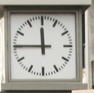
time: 11:45
